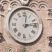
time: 12:13
